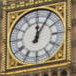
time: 12:05
